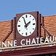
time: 1:56
